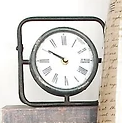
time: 9:50
